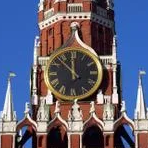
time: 11:52
